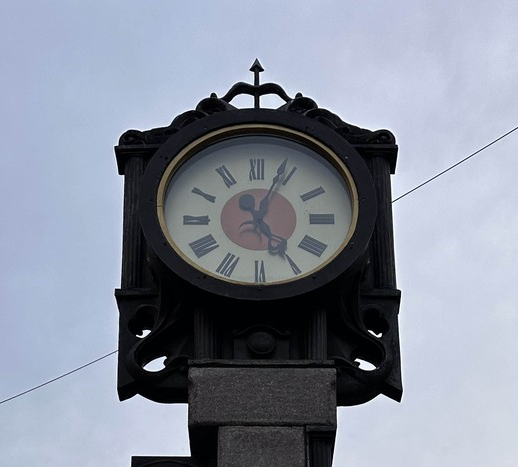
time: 5:03
